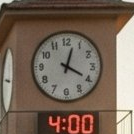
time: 4:02
